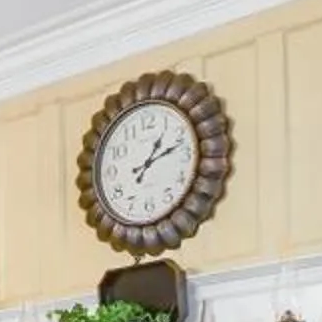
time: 1:11
